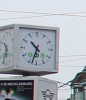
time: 10:33
